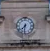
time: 7:31
